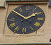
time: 1:50
